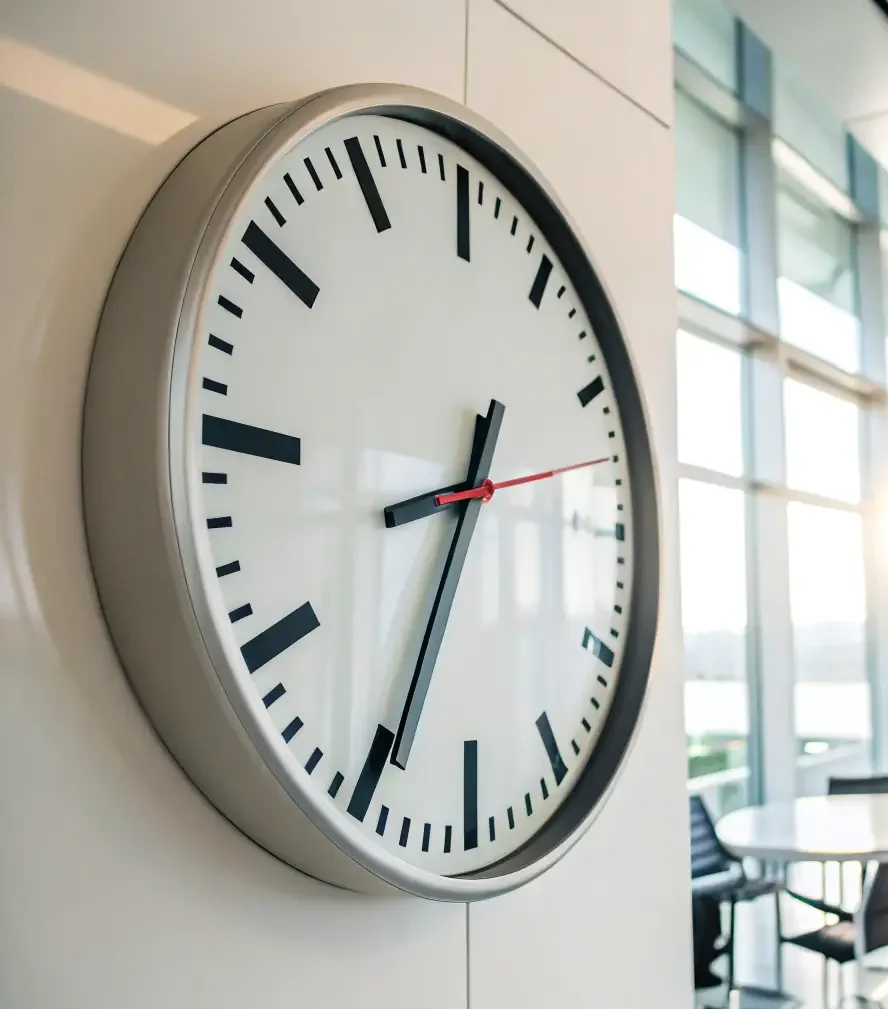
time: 8:34
